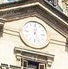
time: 12:26
